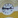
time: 2:46
